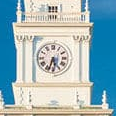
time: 5:33
